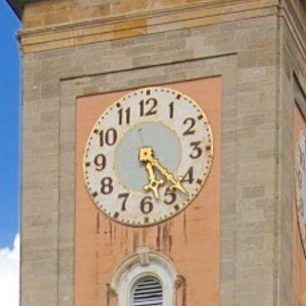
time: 5:22
